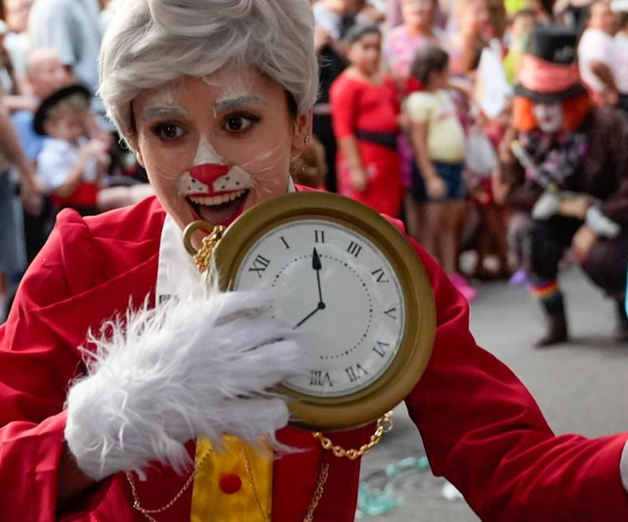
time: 7:59
